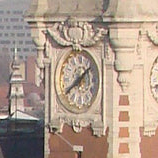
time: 1:39
